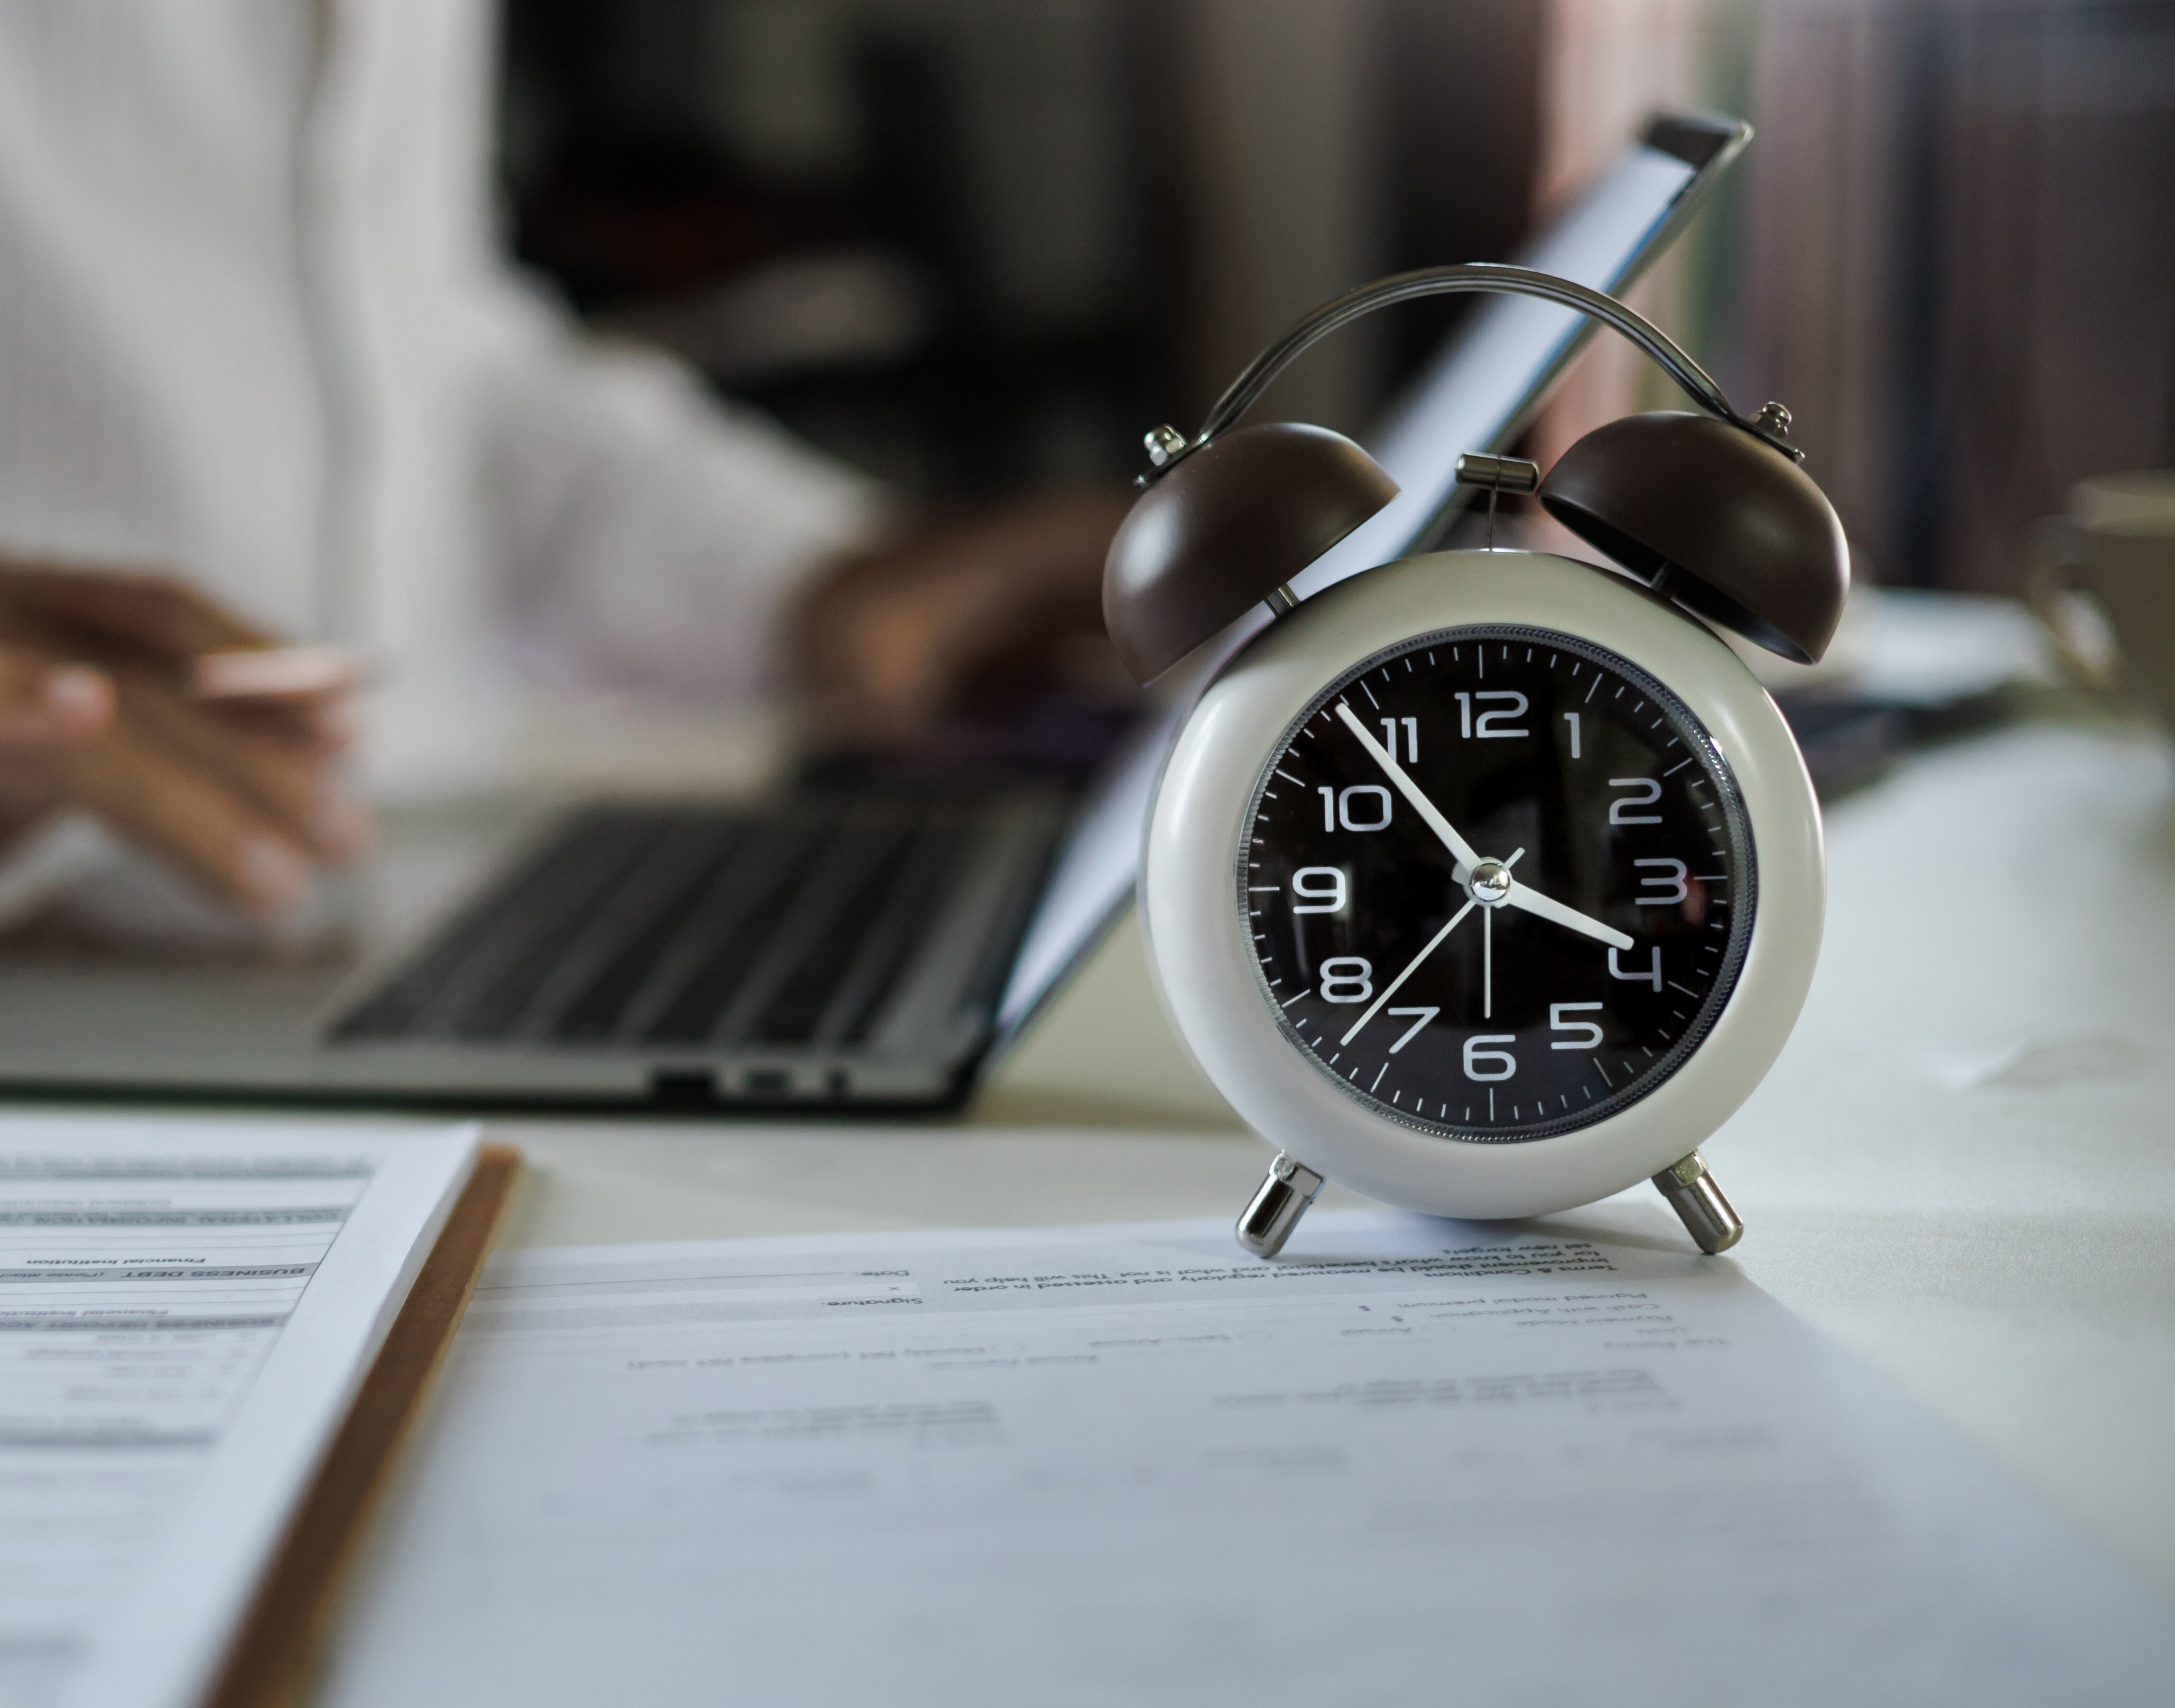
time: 3:53
